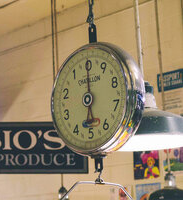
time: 5:59
